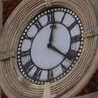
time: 12:21
